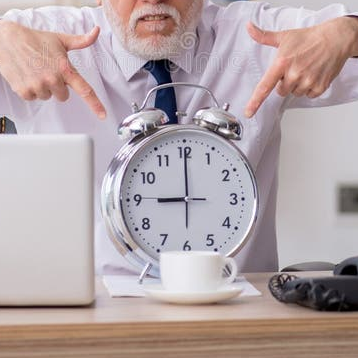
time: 9:00
